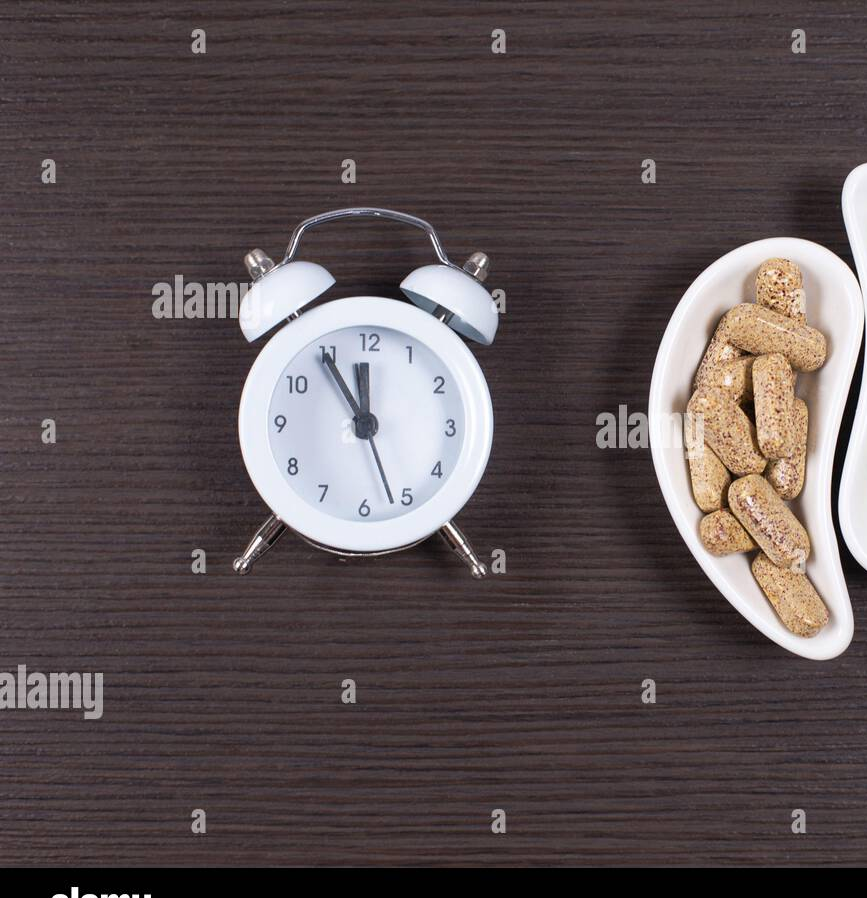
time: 11:54
